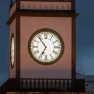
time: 6:53
